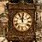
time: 11:55
